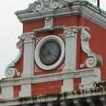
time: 10:42
